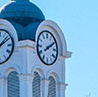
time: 2:09
